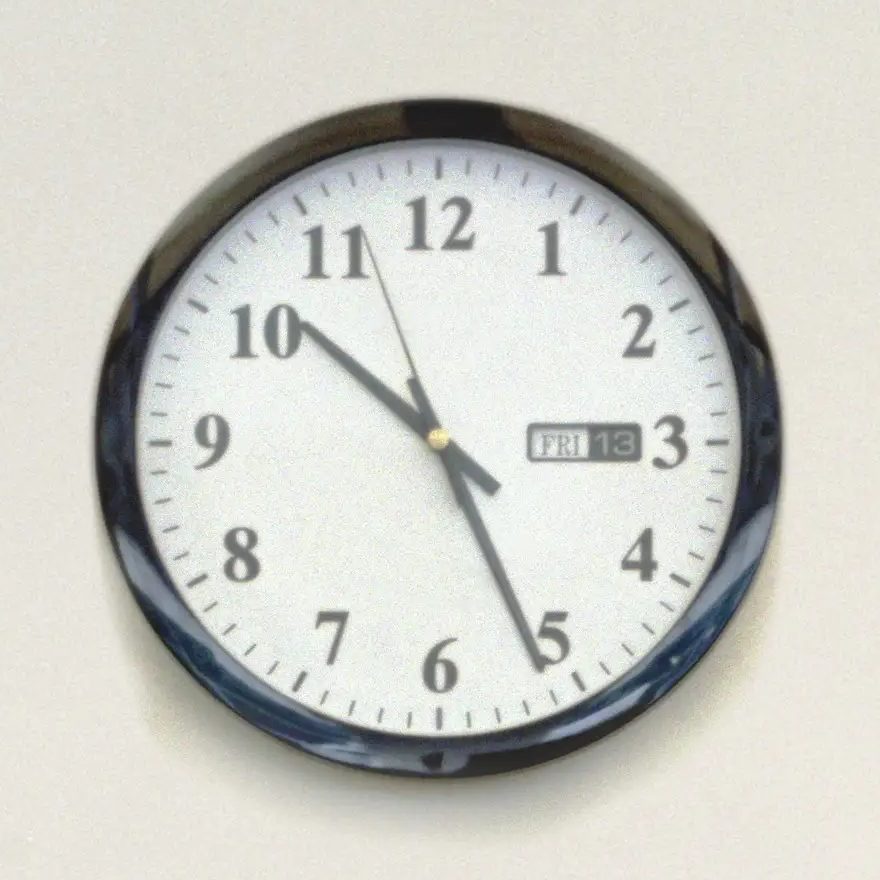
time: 10:25
